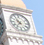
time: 10:36
